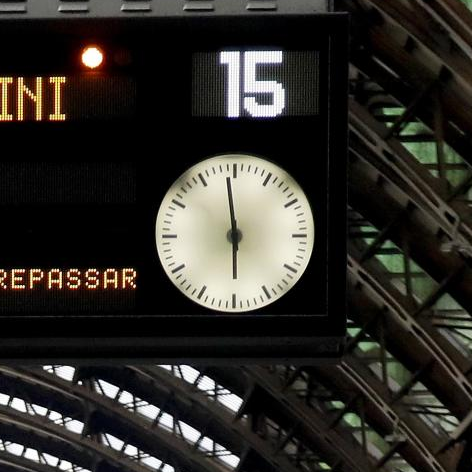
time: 5:59
